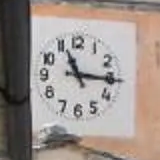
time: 11:15
